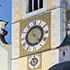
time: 4:23
